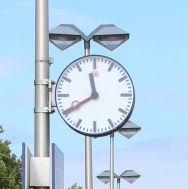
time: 11:39
